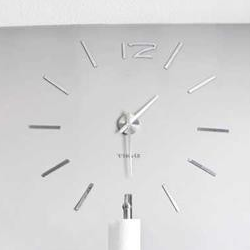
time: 1:29
